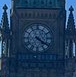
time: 4:20
